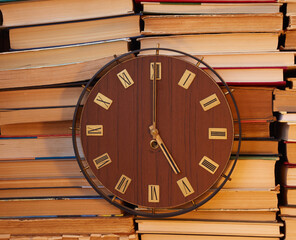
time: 5:00
